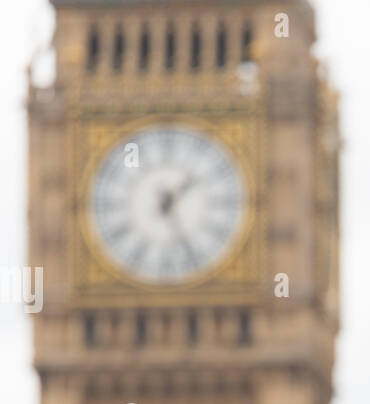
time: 1:26
